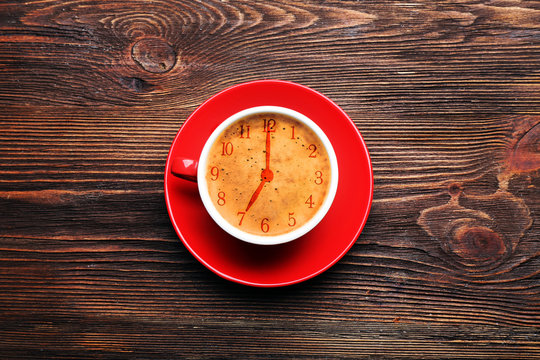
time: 7:00
